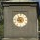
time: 8:54
